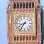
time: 8:36
